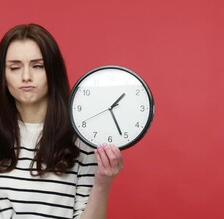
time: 1:26
